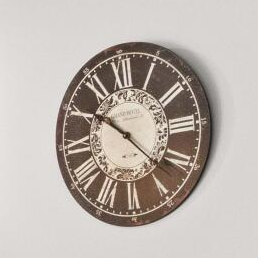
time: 10:22
